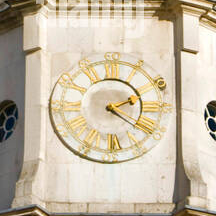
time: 2:21
